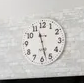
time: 11:27
